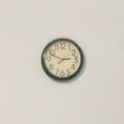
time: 2:48
